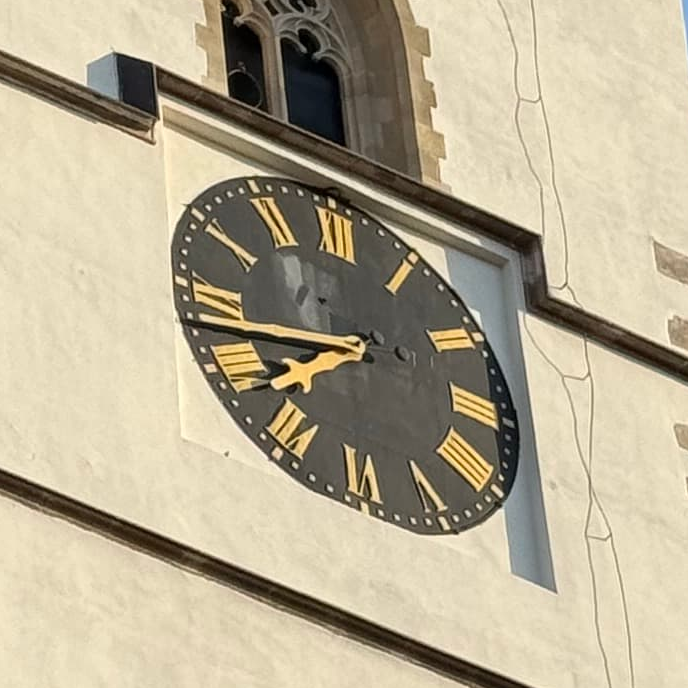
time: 7:42
